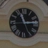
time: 11:13
